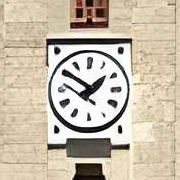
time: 1:50
